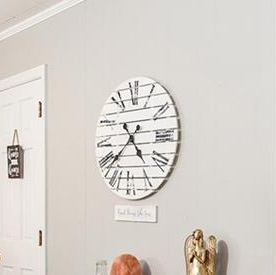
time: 4:37
